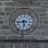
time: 5:44
